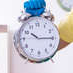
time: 10:15
